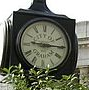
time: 9:14
